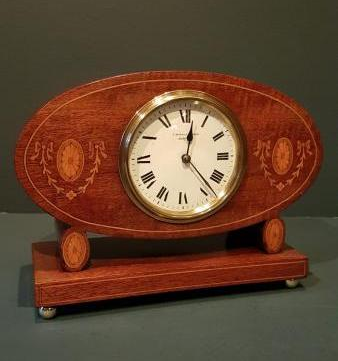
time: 12:23
